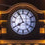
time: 7:55
